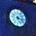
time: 5:17
